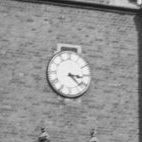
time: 3:22
